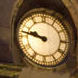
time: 9:47
